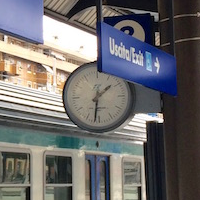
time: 1:31
